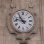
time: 10:47
